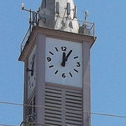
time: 12:05
